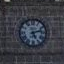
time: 5:12
